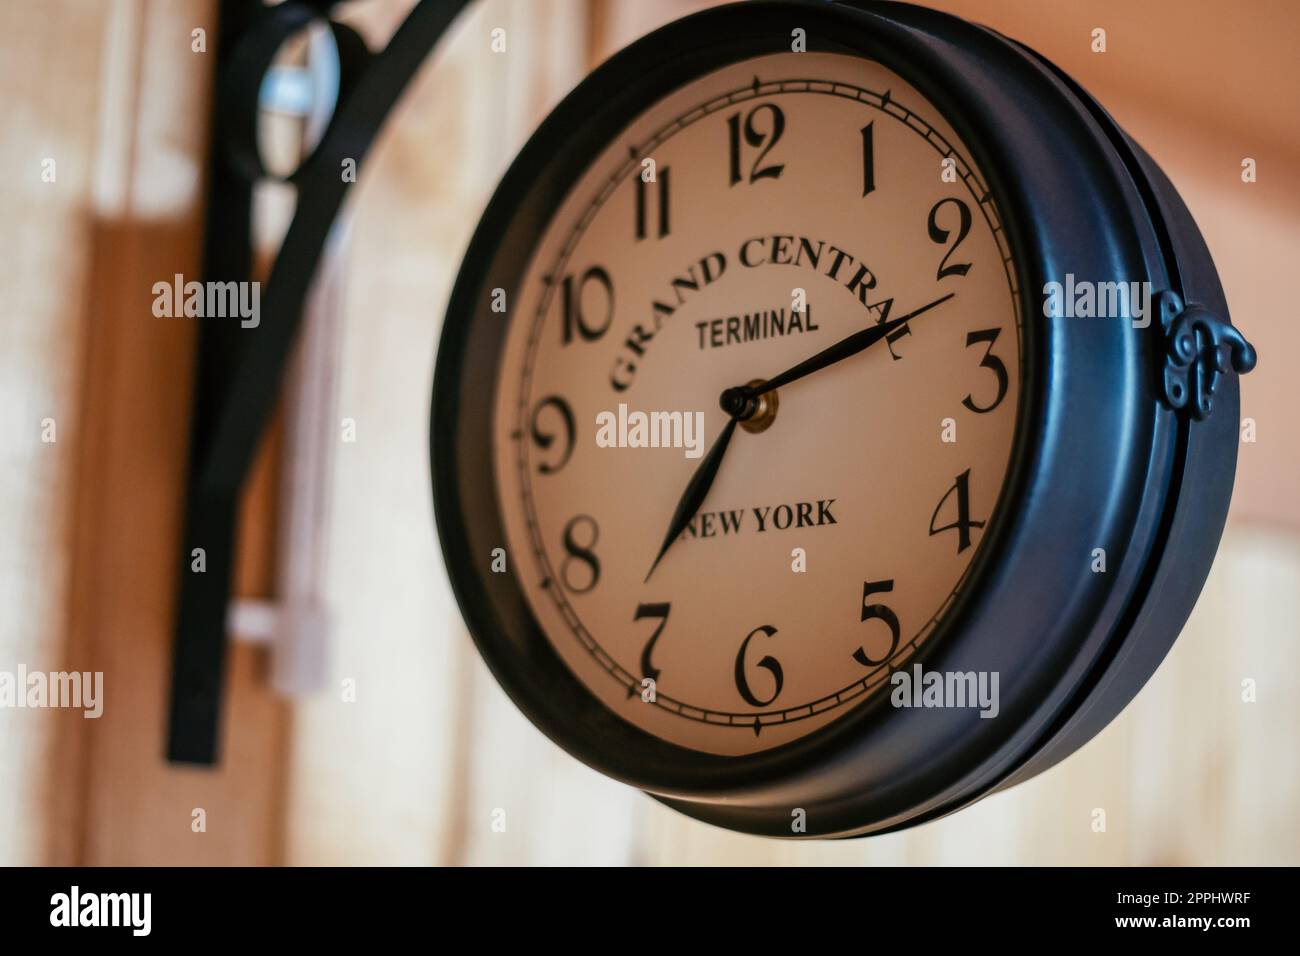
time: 7:12
